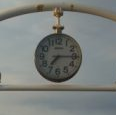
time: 7:15
